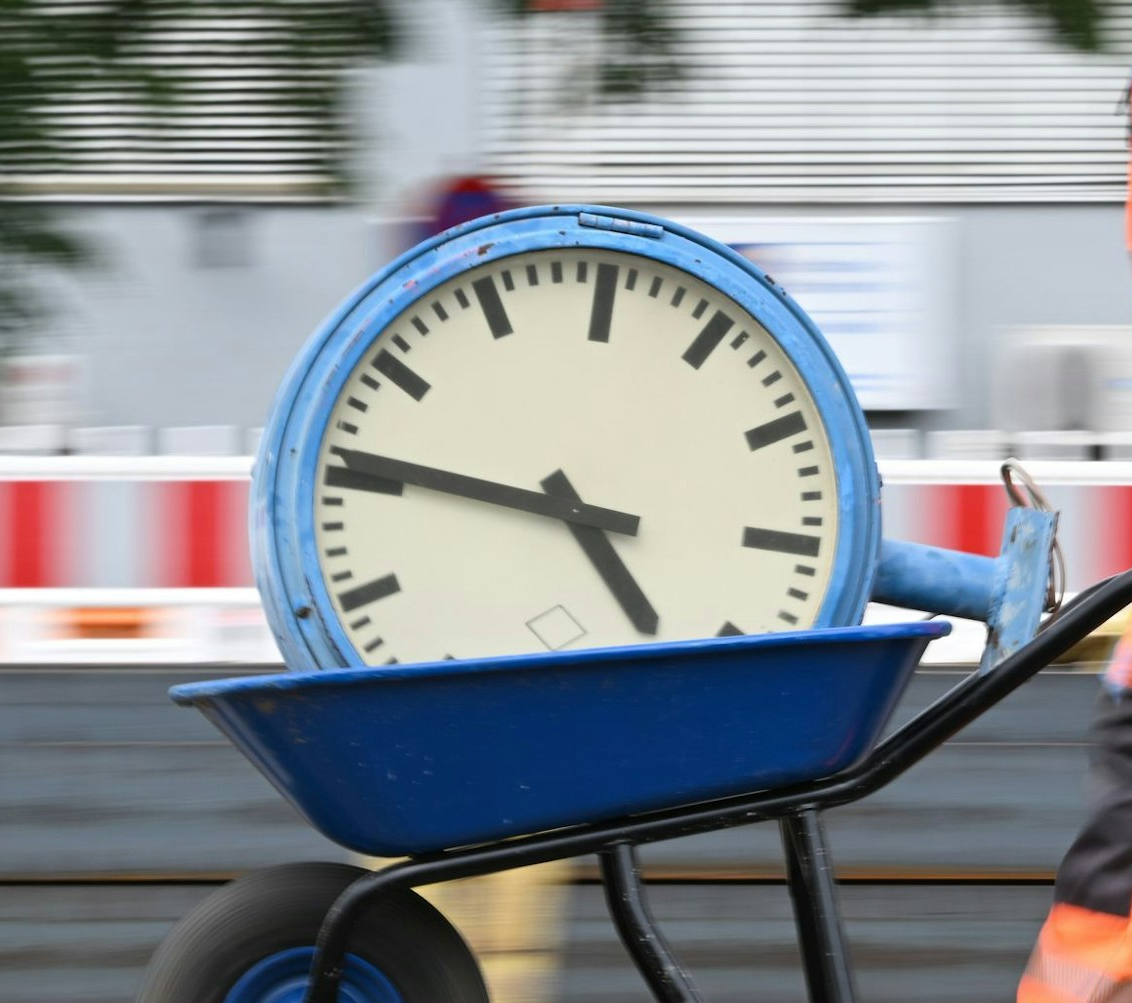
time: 4:46
